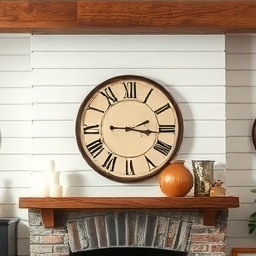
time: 2:16
